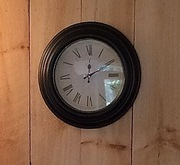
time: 12:10
